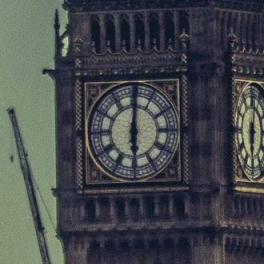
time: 6:00
